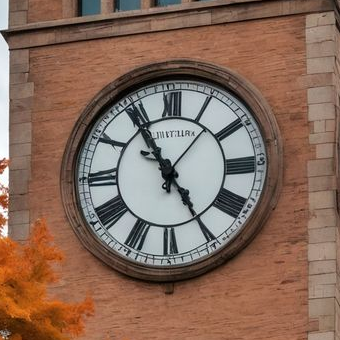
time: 4:54
